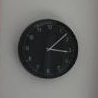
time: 3:08
